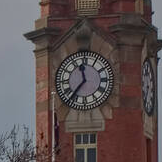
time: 11:36
